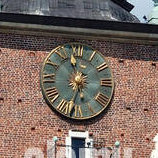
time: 11:32
